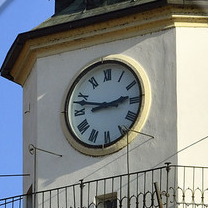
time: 2:47
